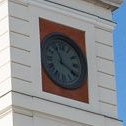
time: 11:19
